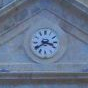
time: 3:39
